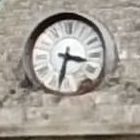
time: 3:32
